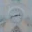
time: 2:42
